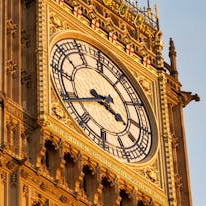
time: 3:40
